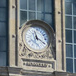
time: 11:20
